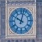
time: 10:02
